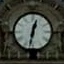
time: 12:32
